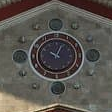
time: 10:04
